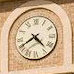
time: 4:40
